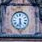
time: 5:31
